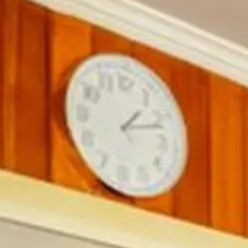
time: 1:11
